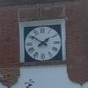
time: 1:50
